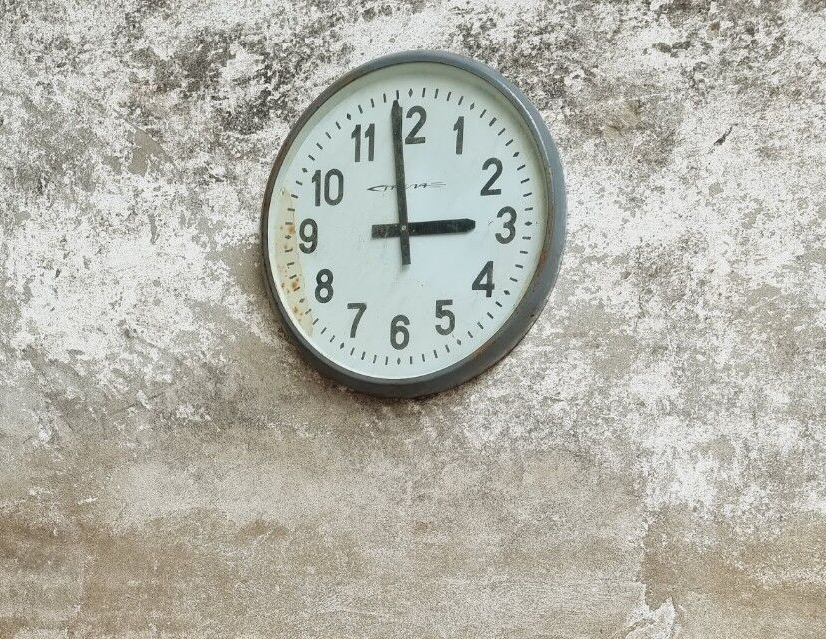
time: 2:58
